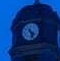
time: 4:26
